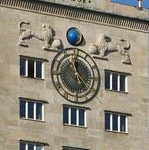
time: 4:59
